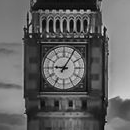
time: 9:05
